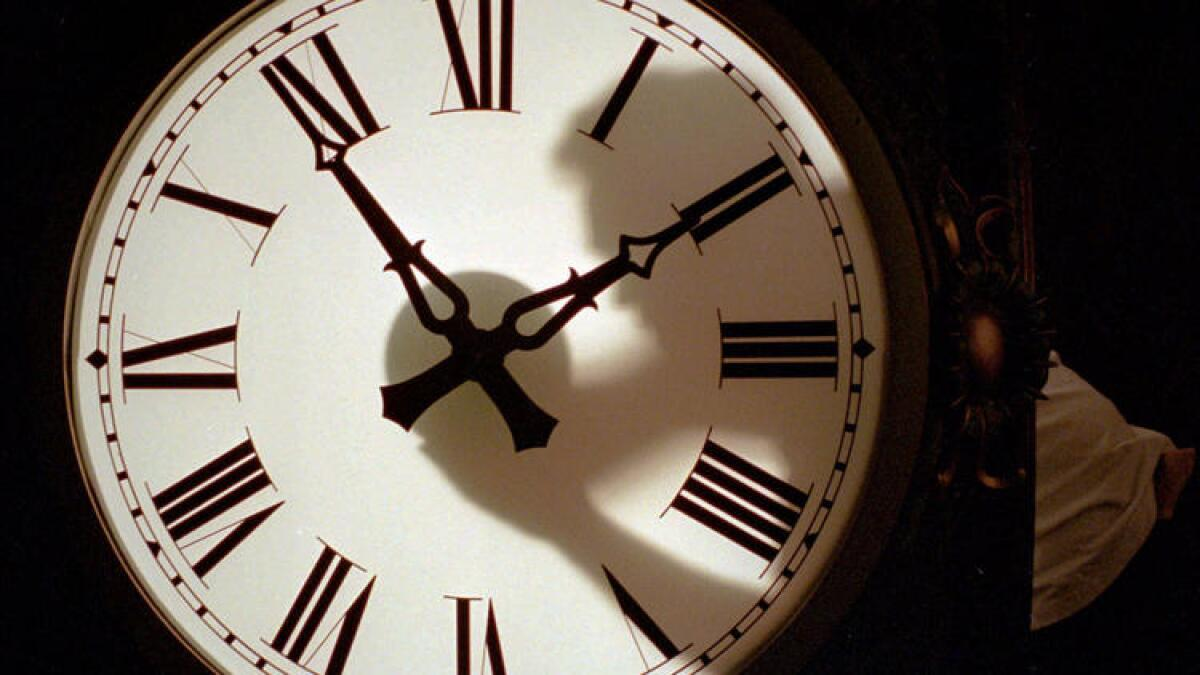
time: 1:54
